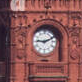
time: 9:11
